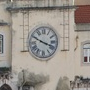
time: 3:49
